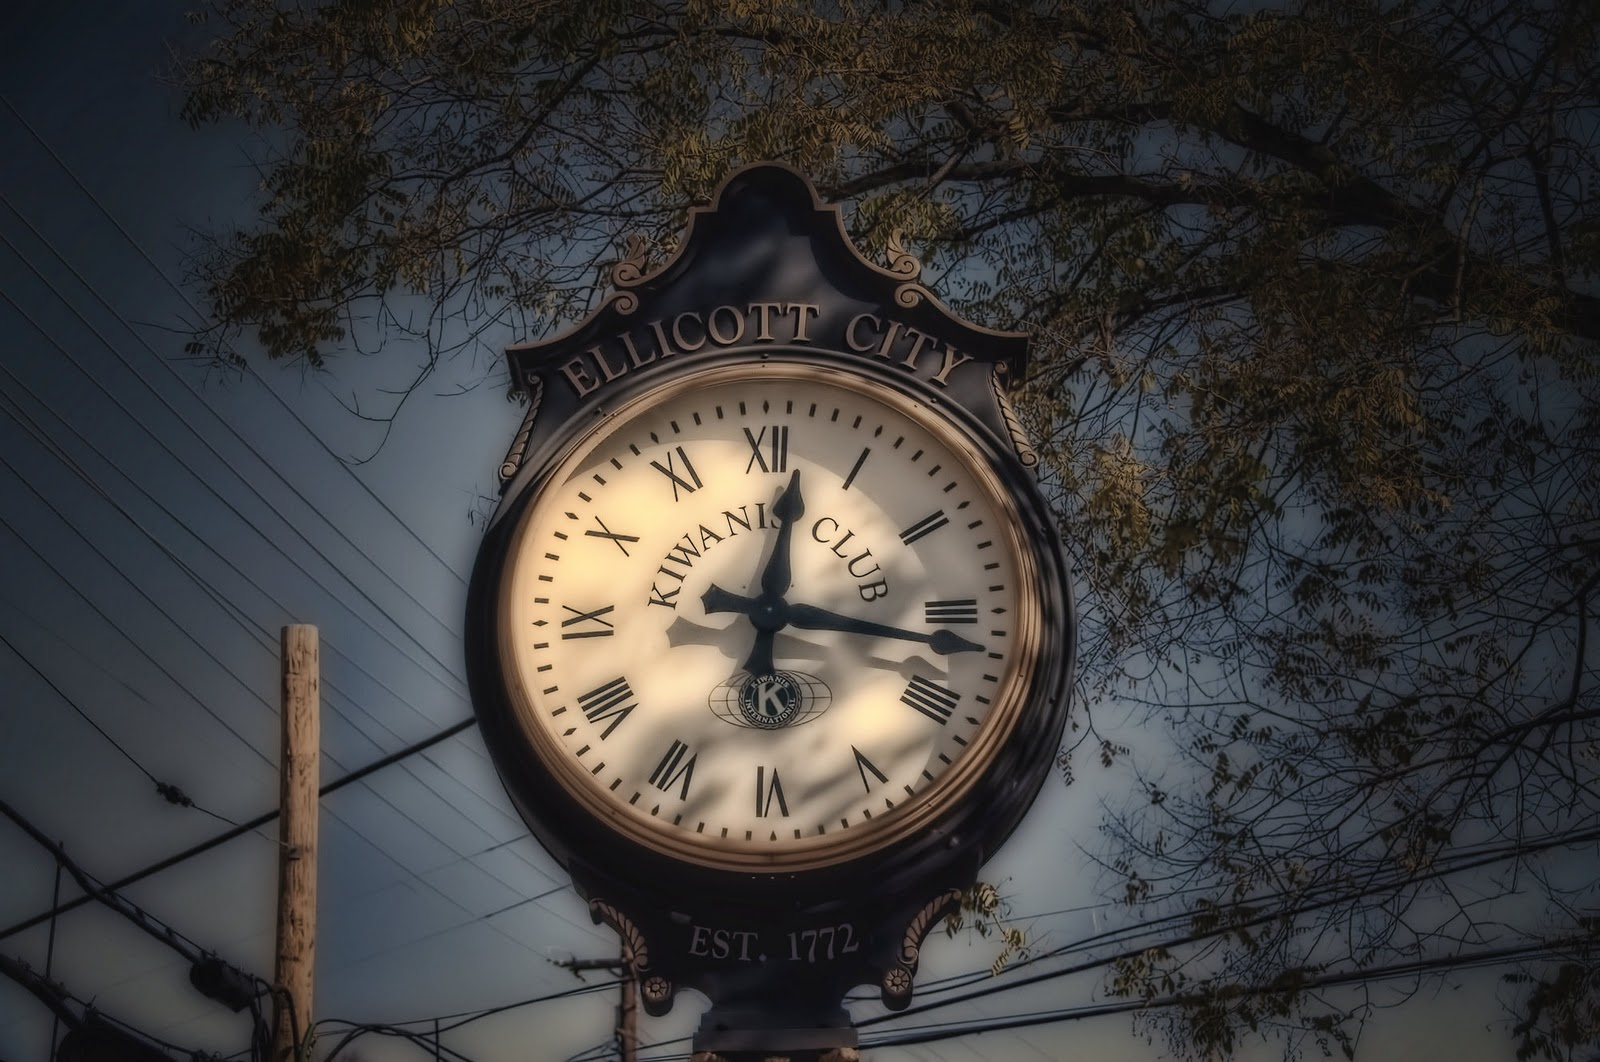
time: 12:16
